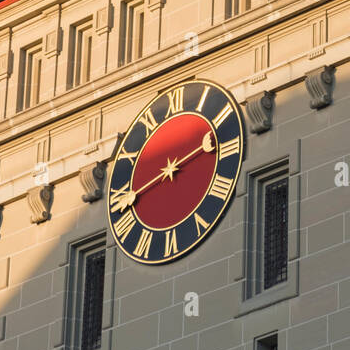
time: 2:40
